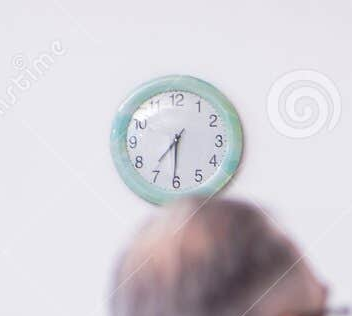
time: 7:30
